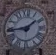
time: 1:43
